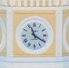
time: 11:20
